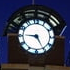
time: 9:25
